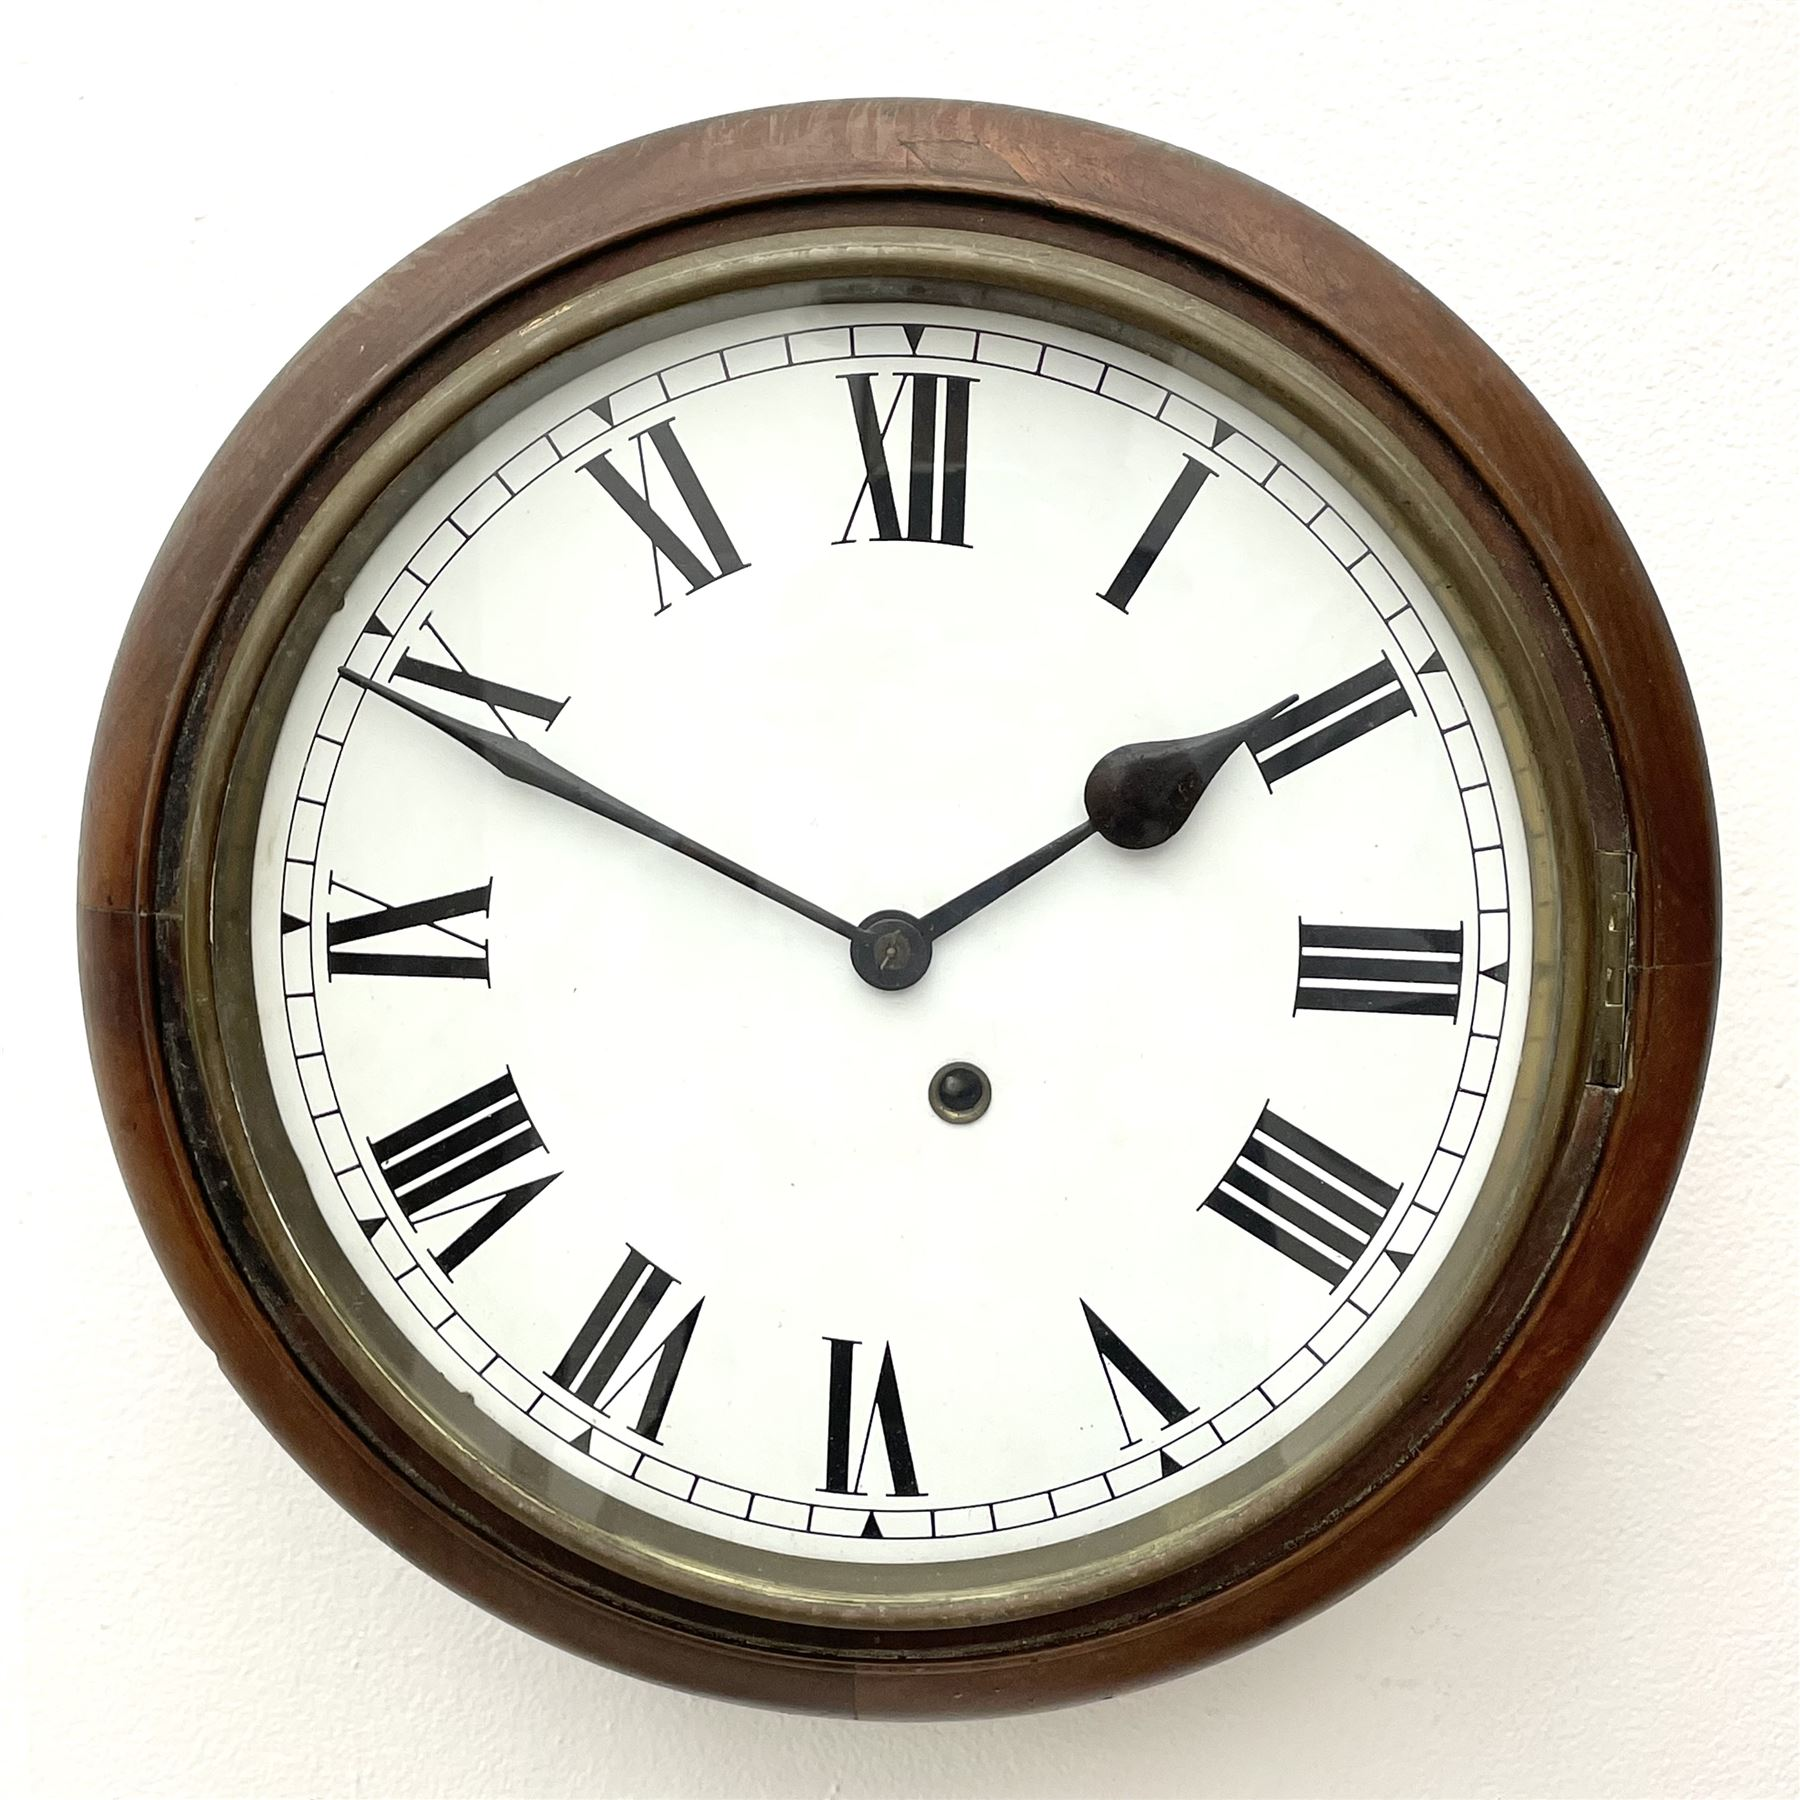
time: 1:49
